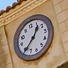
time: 1:39
